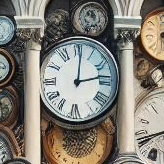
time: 12:13
